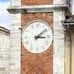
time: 3:08
